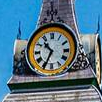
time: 10:34
